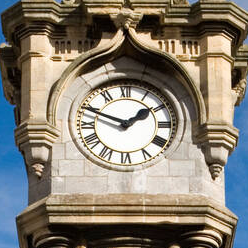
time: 1:49
